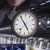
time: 4:54
